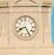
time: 8:25
